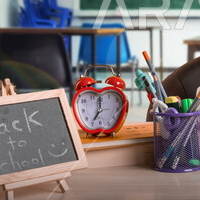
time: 7:01
